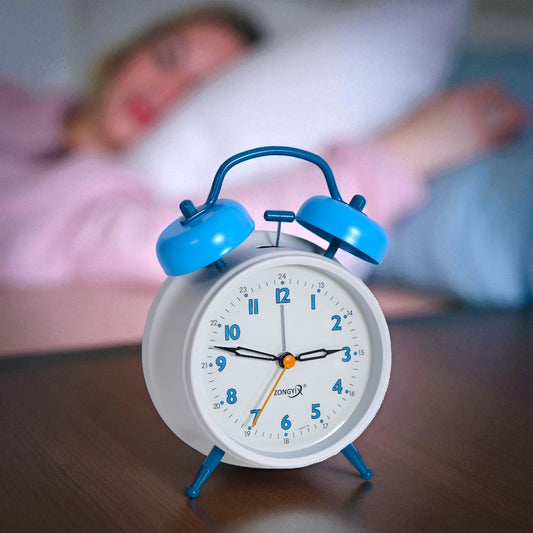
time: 2:47
